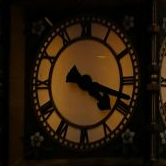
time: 4:18
